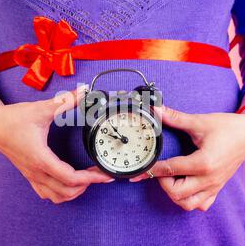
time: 9:53
